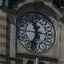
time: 11:34
